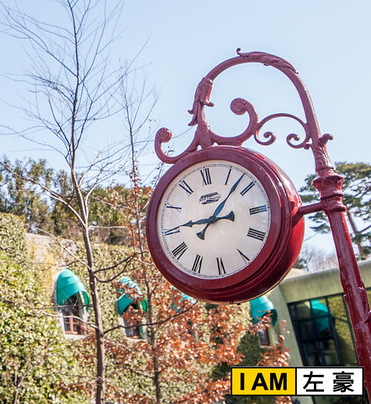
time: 9:07
